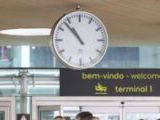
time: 10:53
